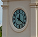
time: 12:21
